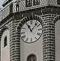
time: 11:07
